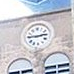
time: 2:45
